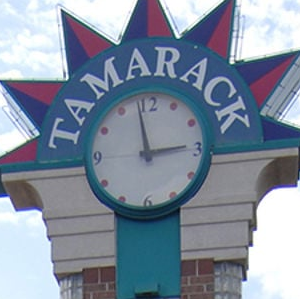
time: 2:58
